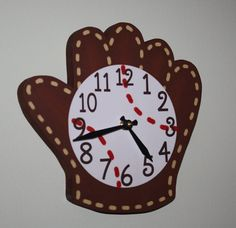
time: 4:42
